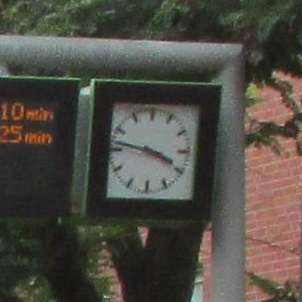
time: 3:46
